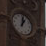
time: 1:01
